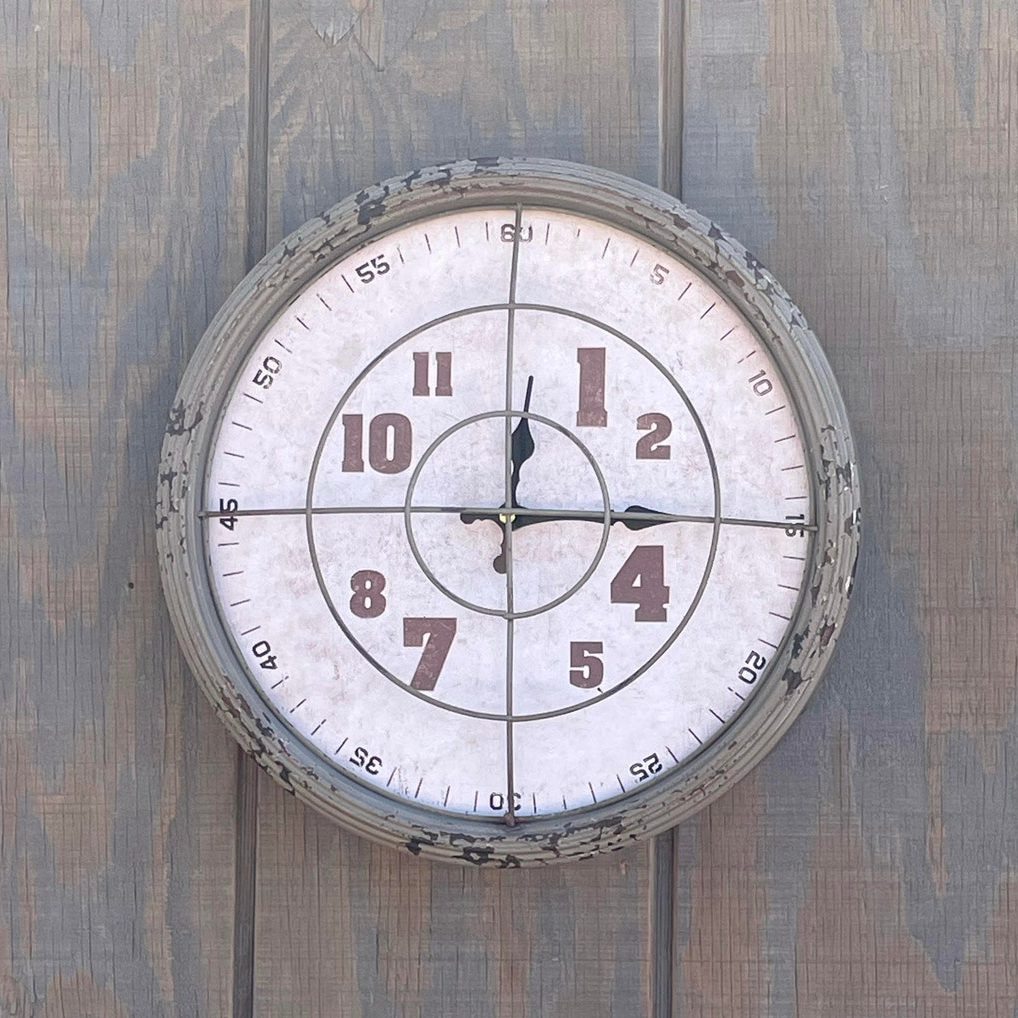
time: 12:14
